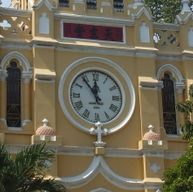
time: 11:53
